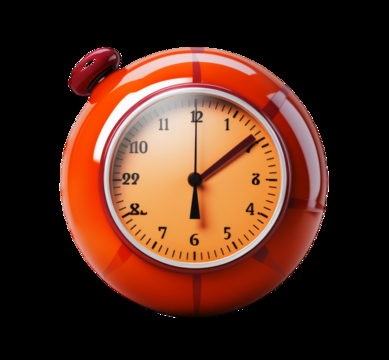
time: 6:08
